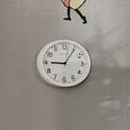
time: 9:05
